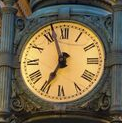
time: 6:56
